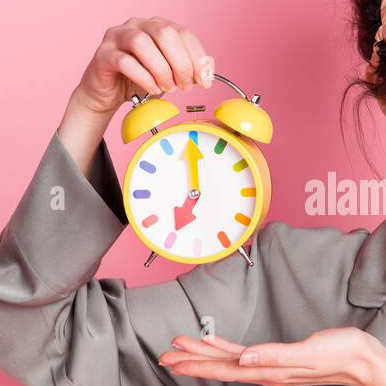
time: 7:00
